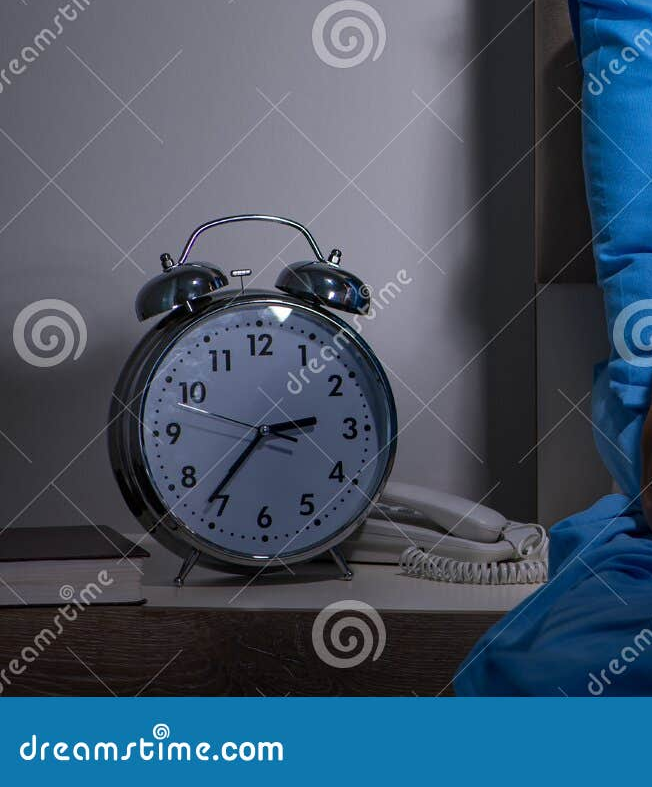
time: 2:36
